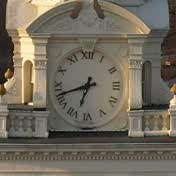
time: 6:42
